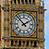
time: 1:52
